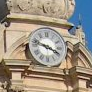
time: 3:47
